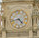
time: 4:42
